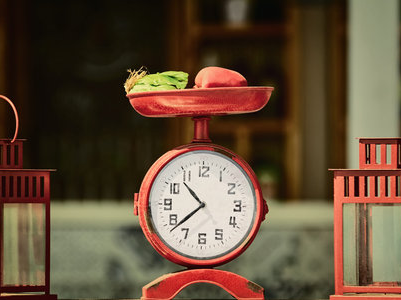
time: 10:38
